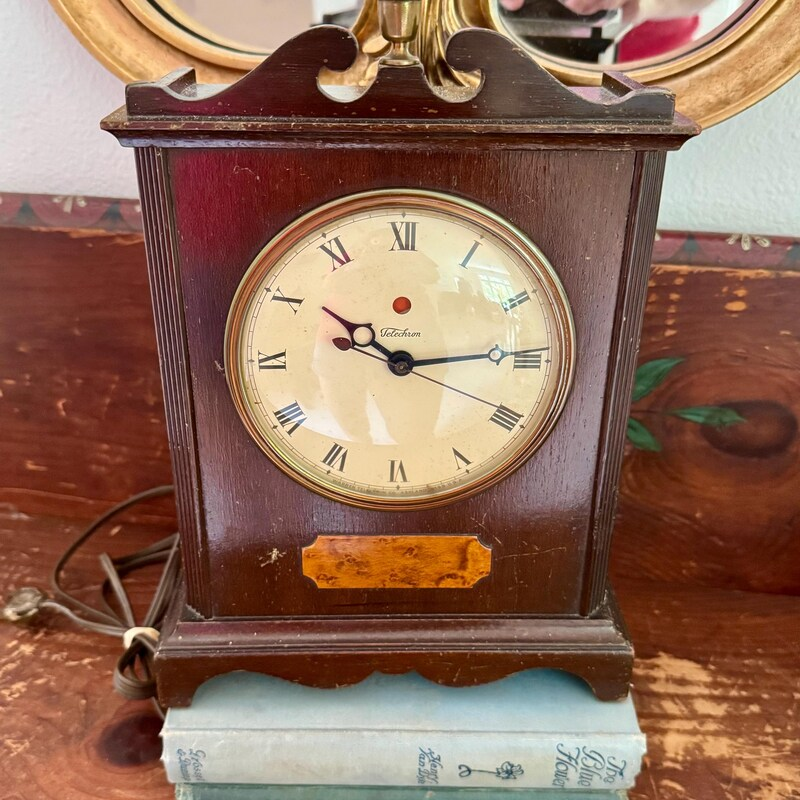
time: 10:14
